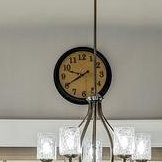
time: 9:40
